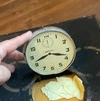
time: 8:18
